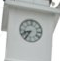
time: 8:35
